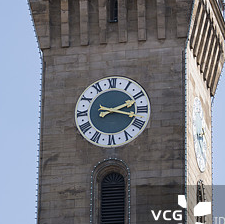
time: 2:17
